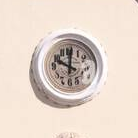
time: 10:00
